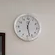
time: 12:27
